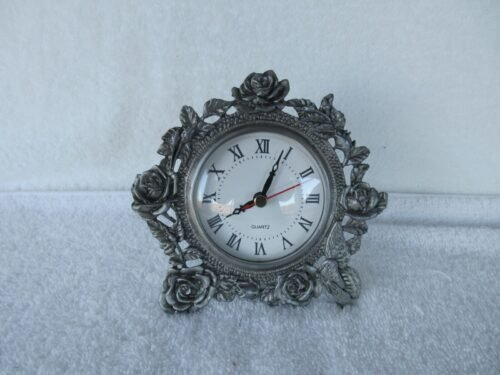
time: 8:04
